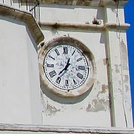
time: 12:37
